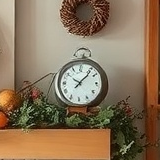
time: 10:07
